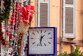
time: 1:32
